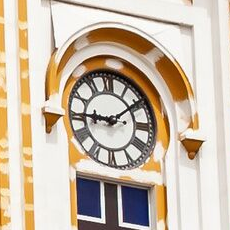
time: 9:09
